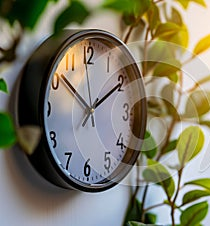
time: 1:51
